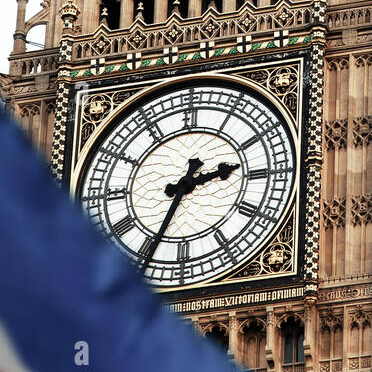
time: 2:34
